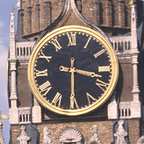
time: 3:30
